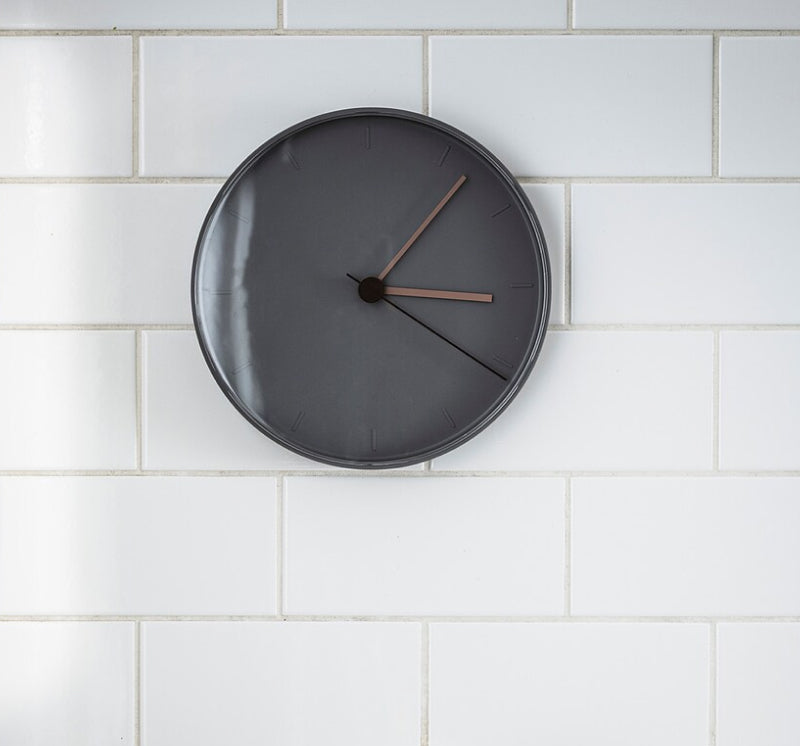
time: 3:06
